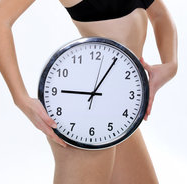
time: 9:05
